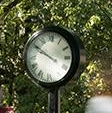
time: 9:50
